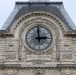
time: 2:59
